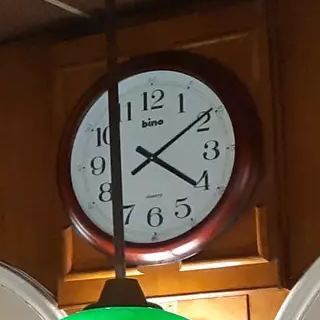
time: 4:09
